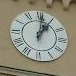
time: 1:01
